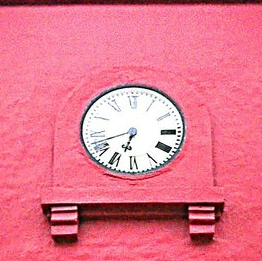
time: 6:41
